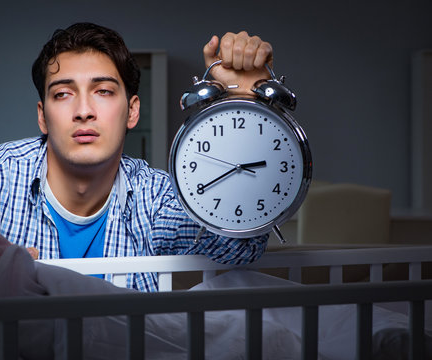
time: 2:40
